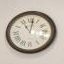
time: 11:01
